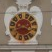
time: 3:40
